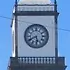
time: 5:40
